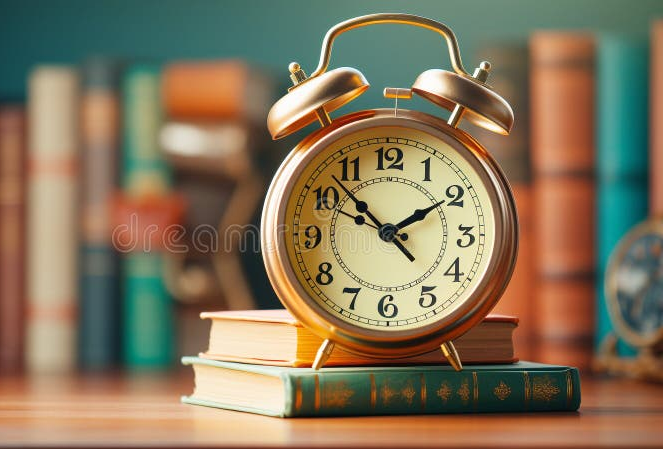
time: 1:52
